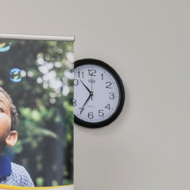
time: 10:35
